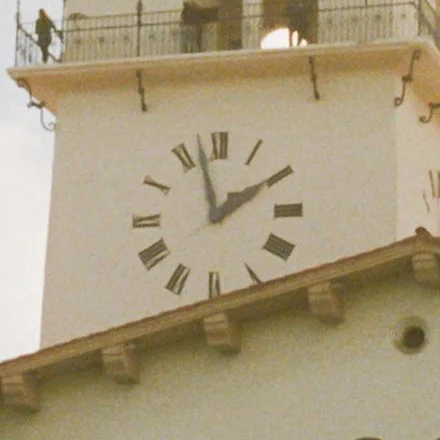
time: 1:57
